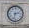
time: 2:32
